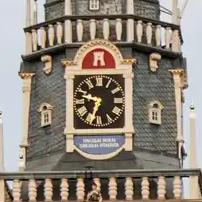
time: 6:48
